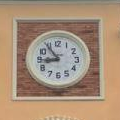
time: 8:54
